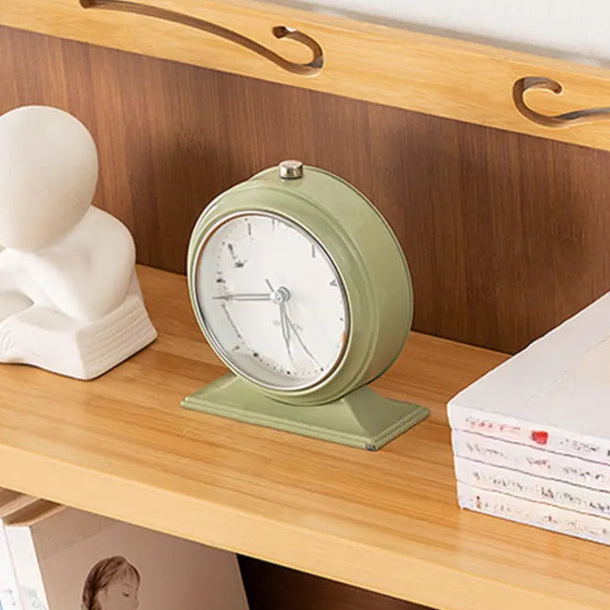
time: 5:41
